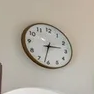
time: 2:31
